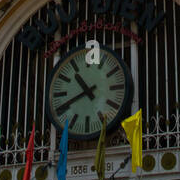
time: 10:41
